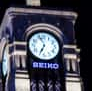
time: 6:56
